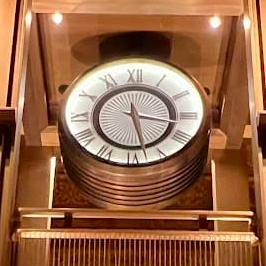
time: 3:27
